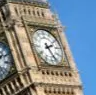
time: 2:25
